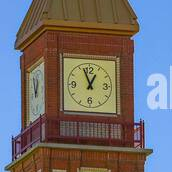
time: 12:56
